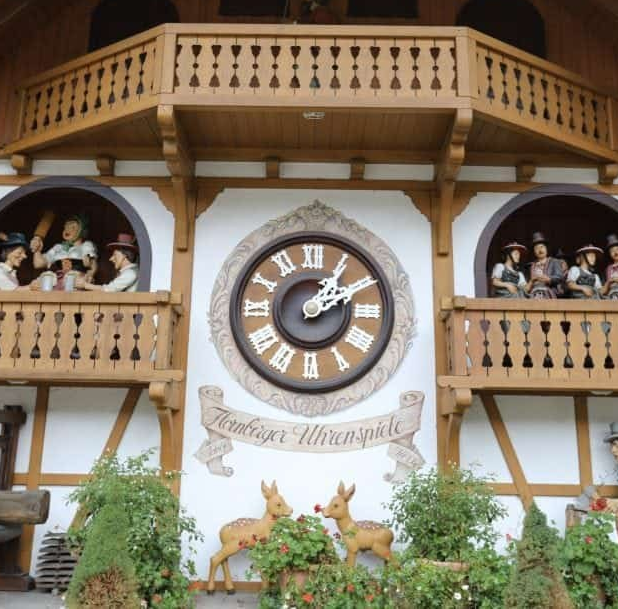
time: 1:10
